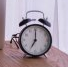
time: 7:00
